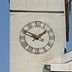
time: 1:49
